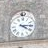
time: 4:14
